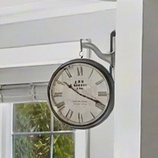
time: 10:18
